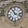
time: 11:17
